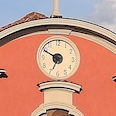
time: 6:49
